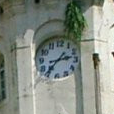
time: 2:36
